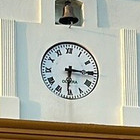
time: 6:15
